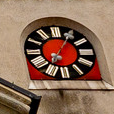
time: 7:05
